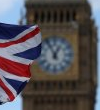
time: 12:55
